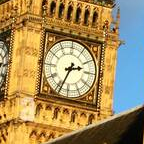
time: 2:33
